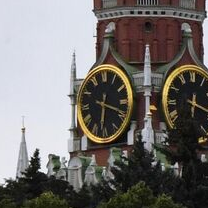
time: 6:18
